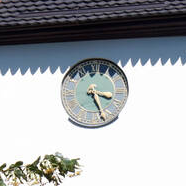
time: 3:26
